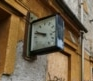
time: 9:48
